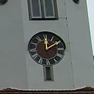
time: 12:09
